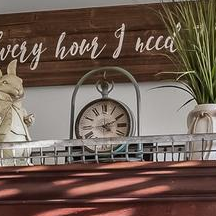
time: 4:10
